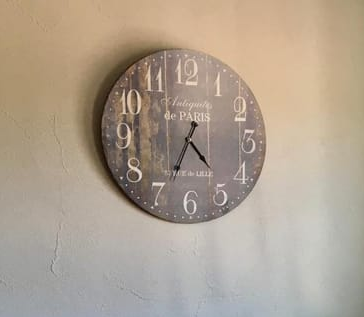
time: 4:34
